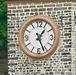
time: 1:26
